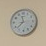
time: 11:37
